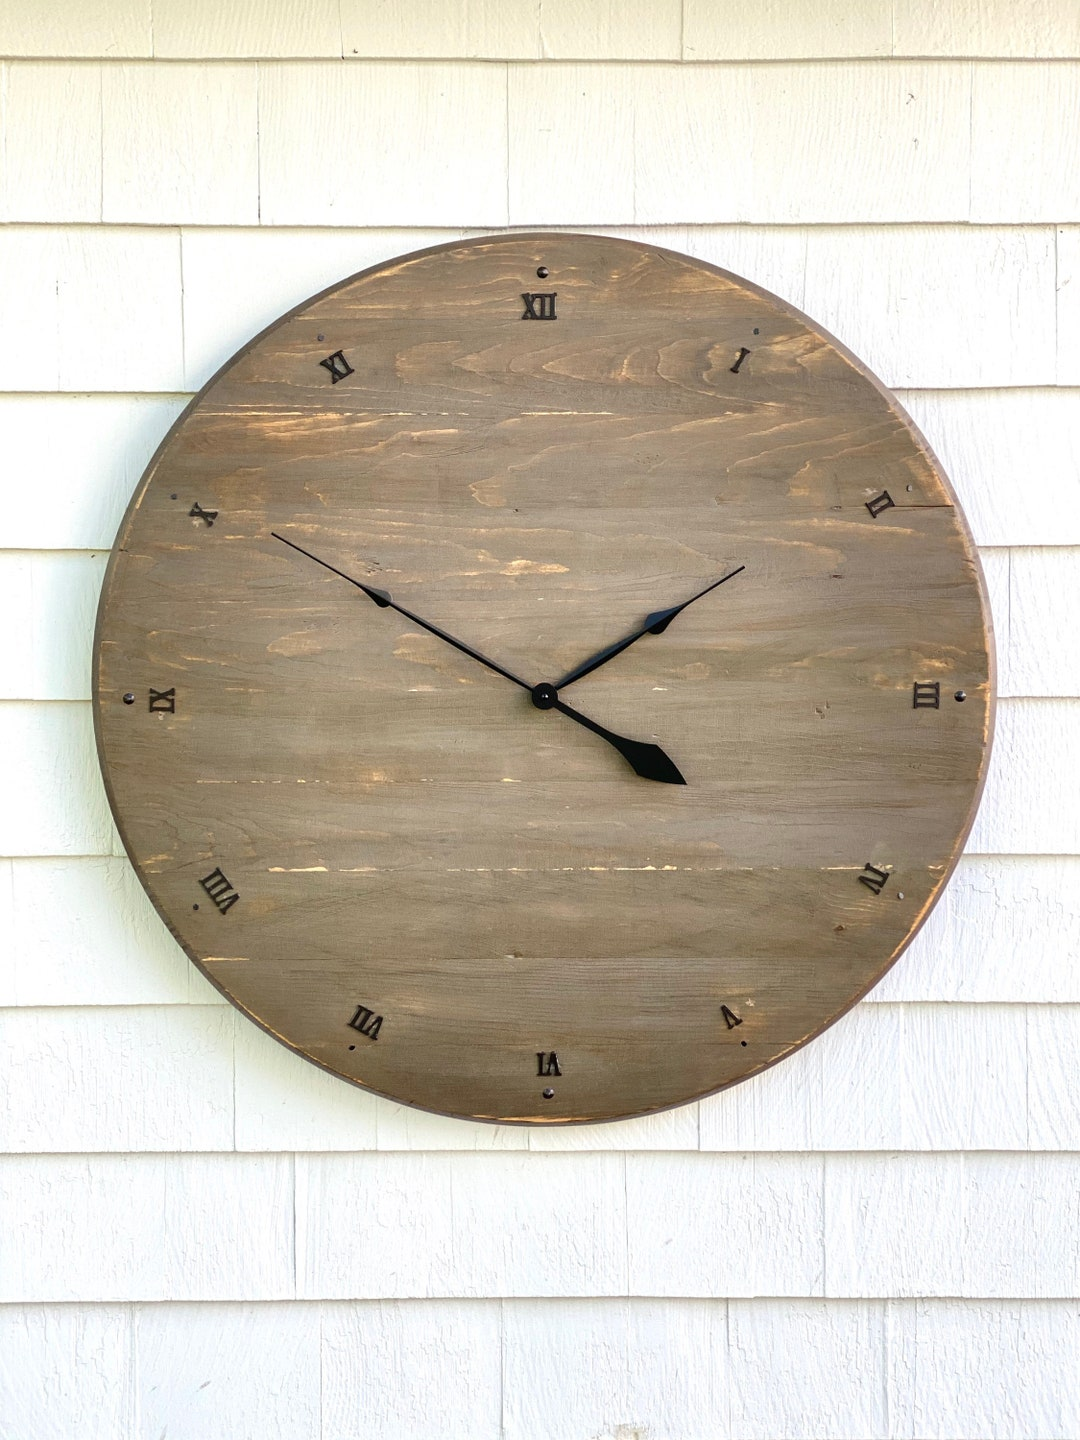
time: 1:50
